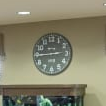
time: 2:44
